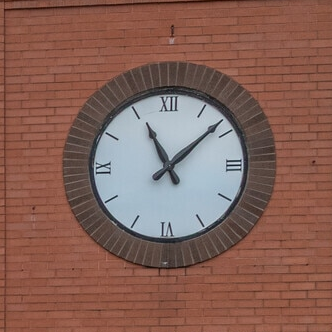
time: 11:08
